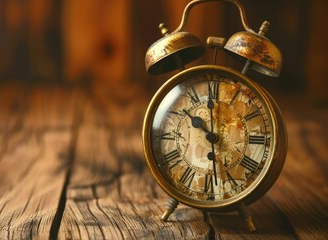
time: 10:28
